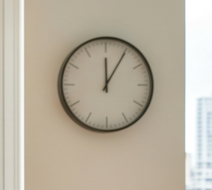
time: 12:05
